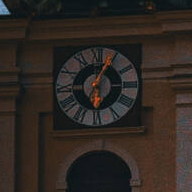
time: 6:04
